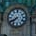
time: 7:40
